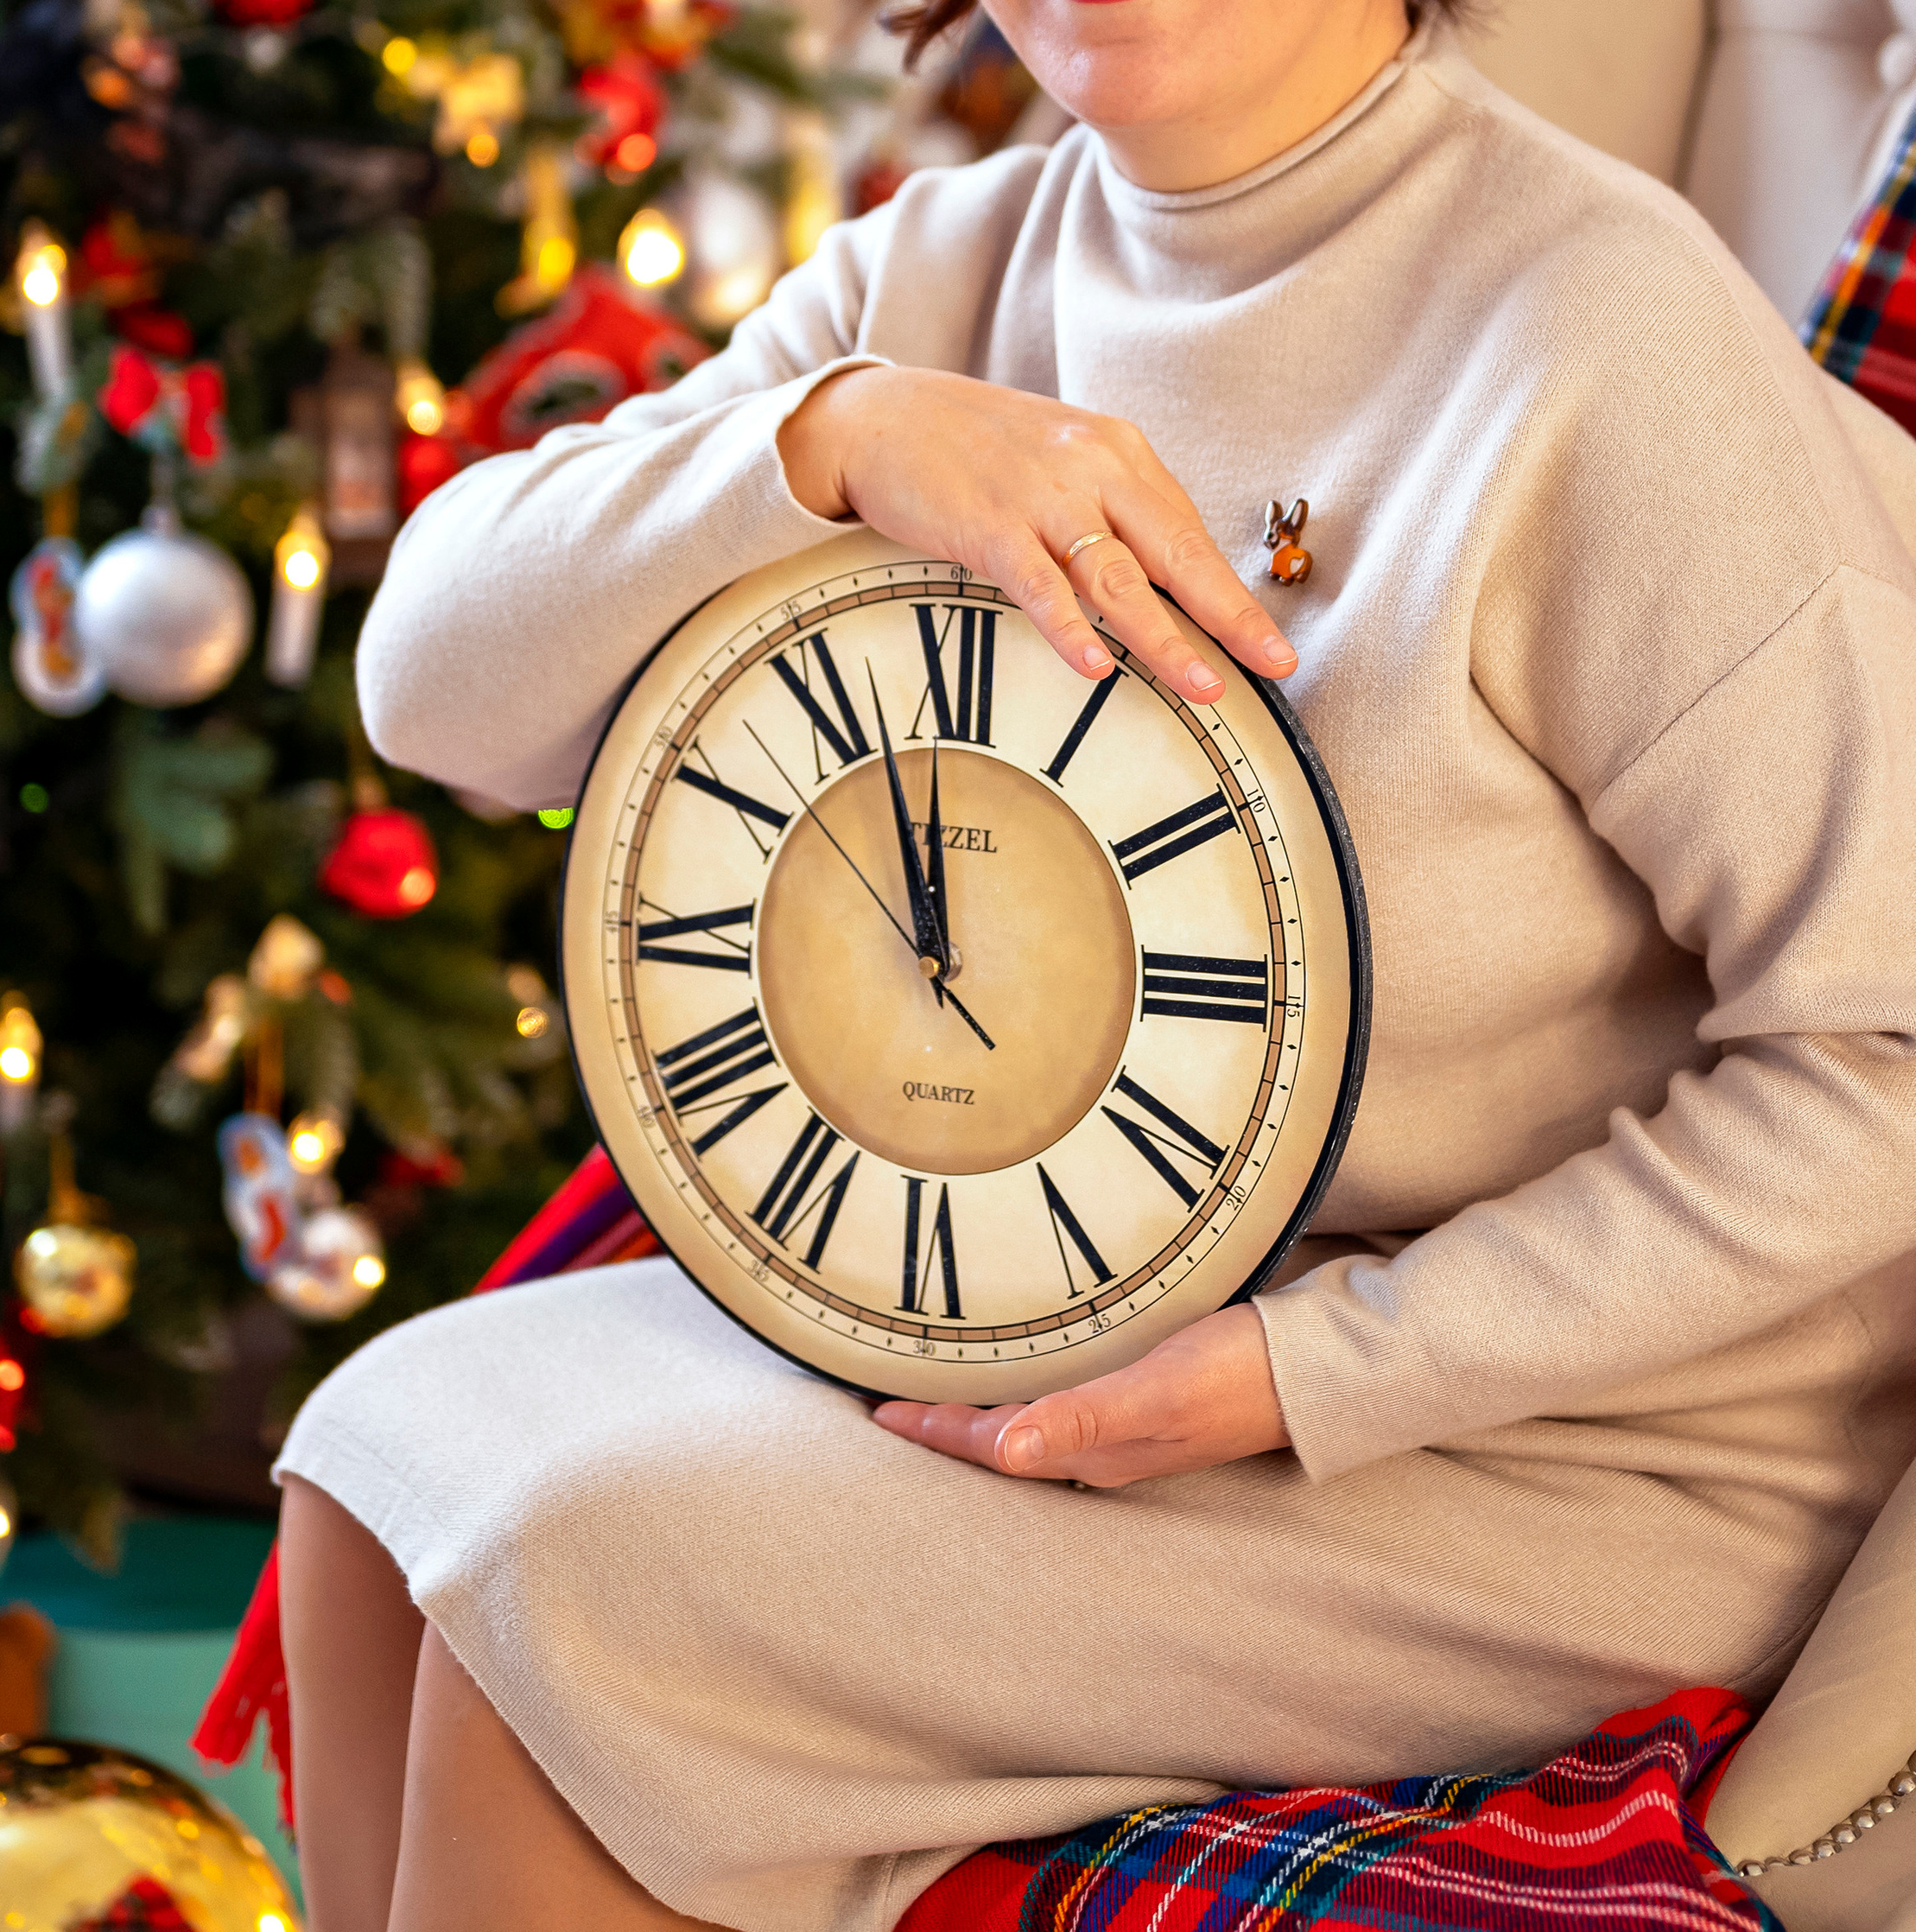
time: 11:56
